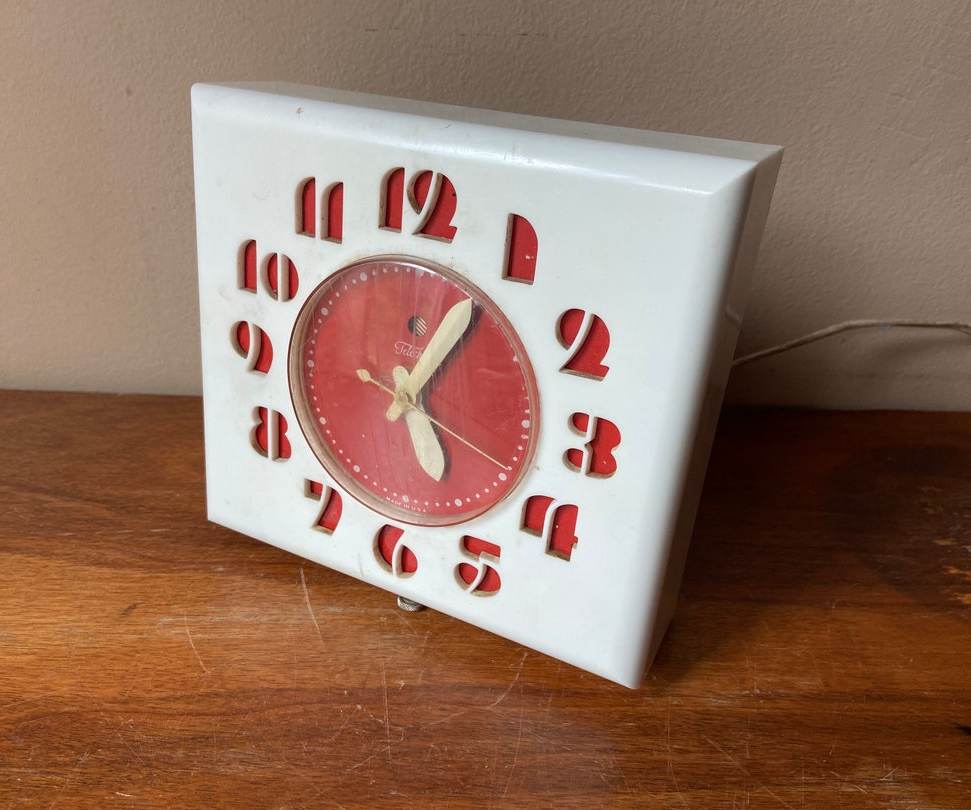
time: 5:05
